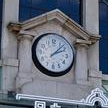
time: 2:07
